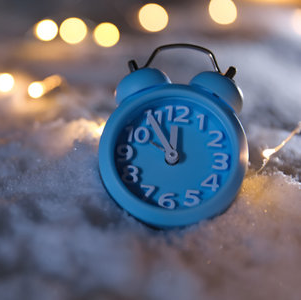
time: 11:54
